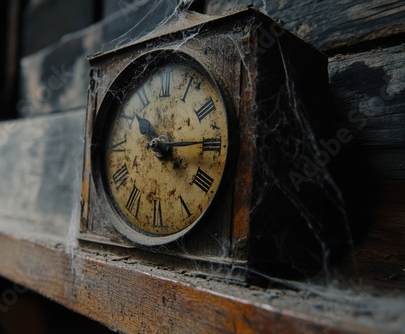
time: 4:14
